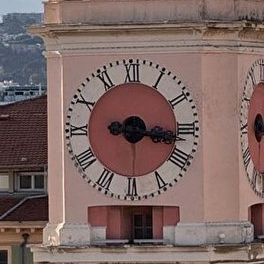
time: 3:16
